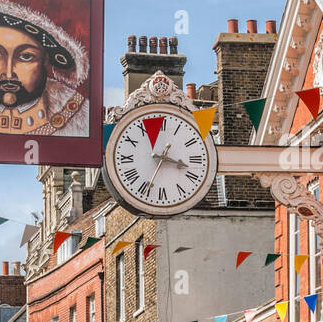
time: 3:34
